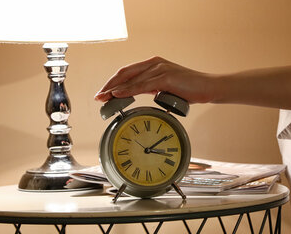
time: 3:09
